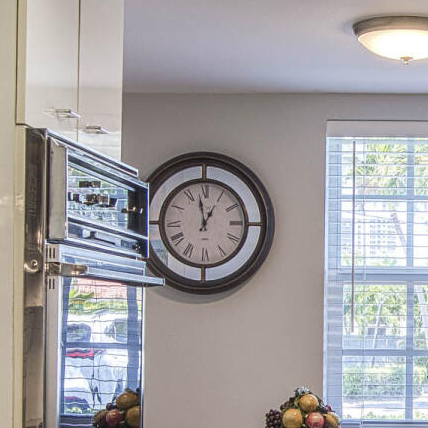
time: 12:58
